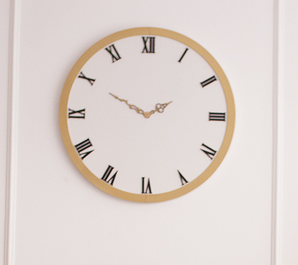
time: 1:49
